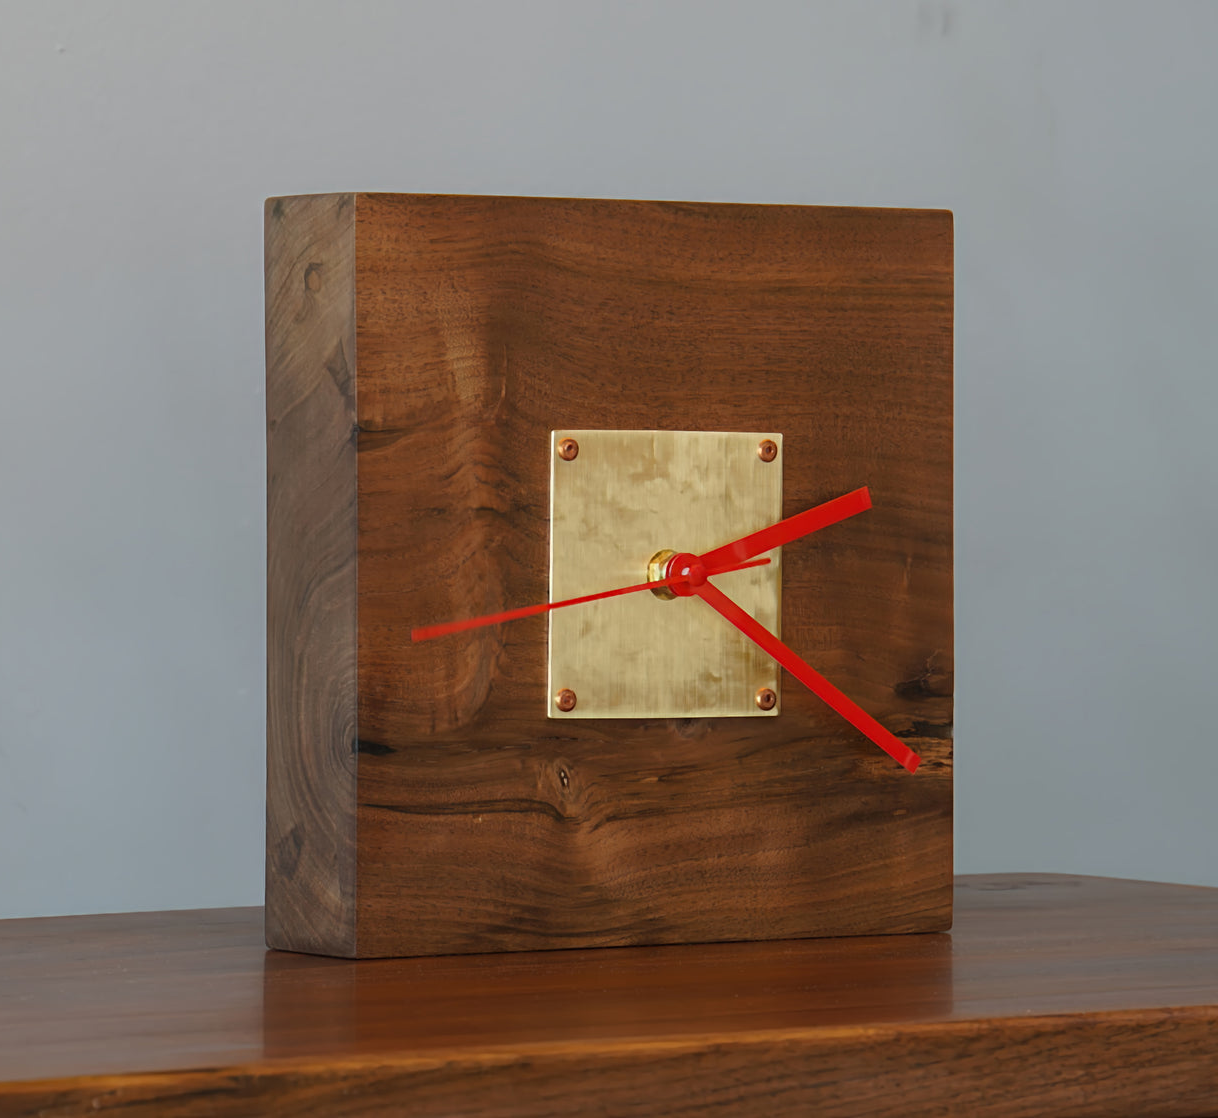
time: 2:21
